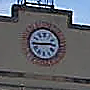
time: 2:44
